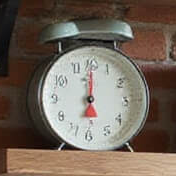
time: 5:00
